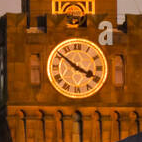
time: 3:51
